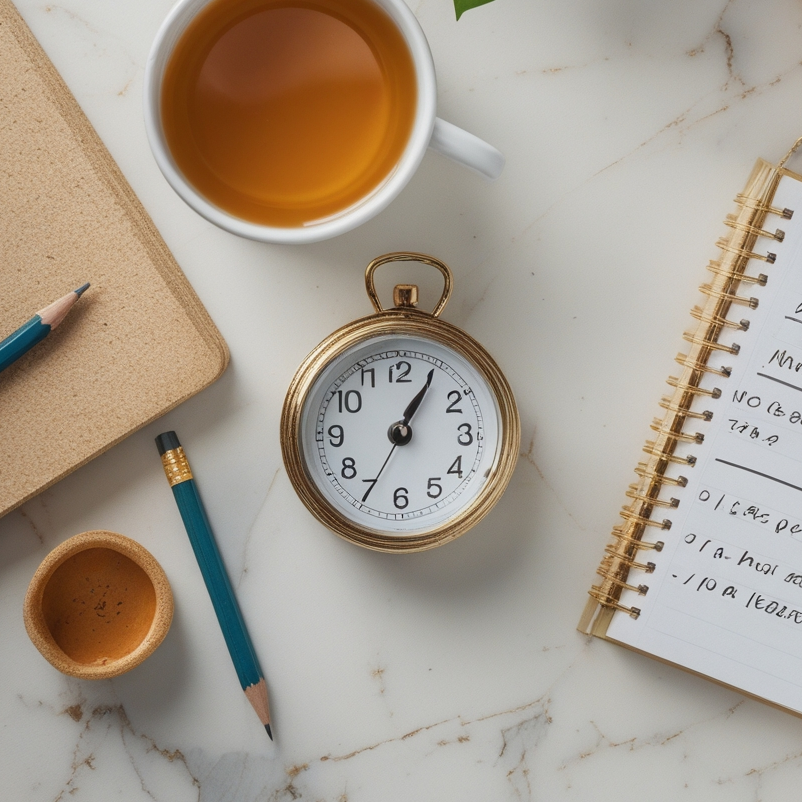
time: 1:05
